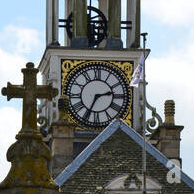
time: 2:34
